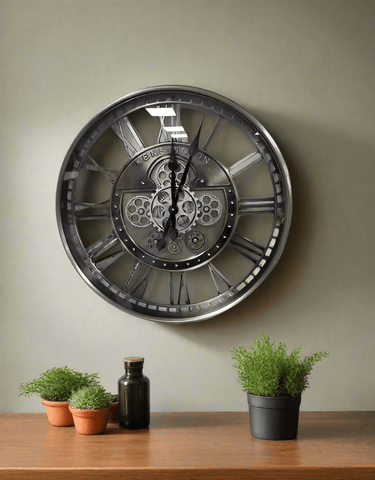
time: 12:03
